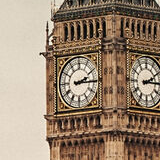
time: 2:15
